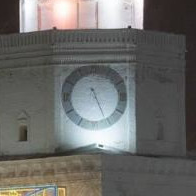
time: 5:25
